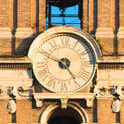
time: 4:48
